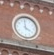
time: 3:58
